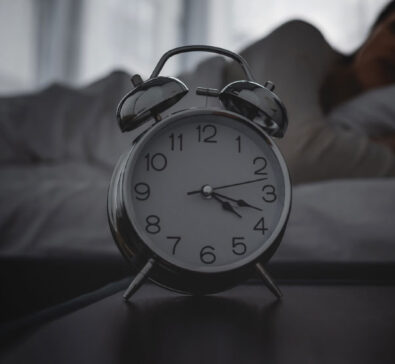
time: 4:18
